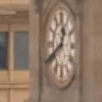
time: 12:40
